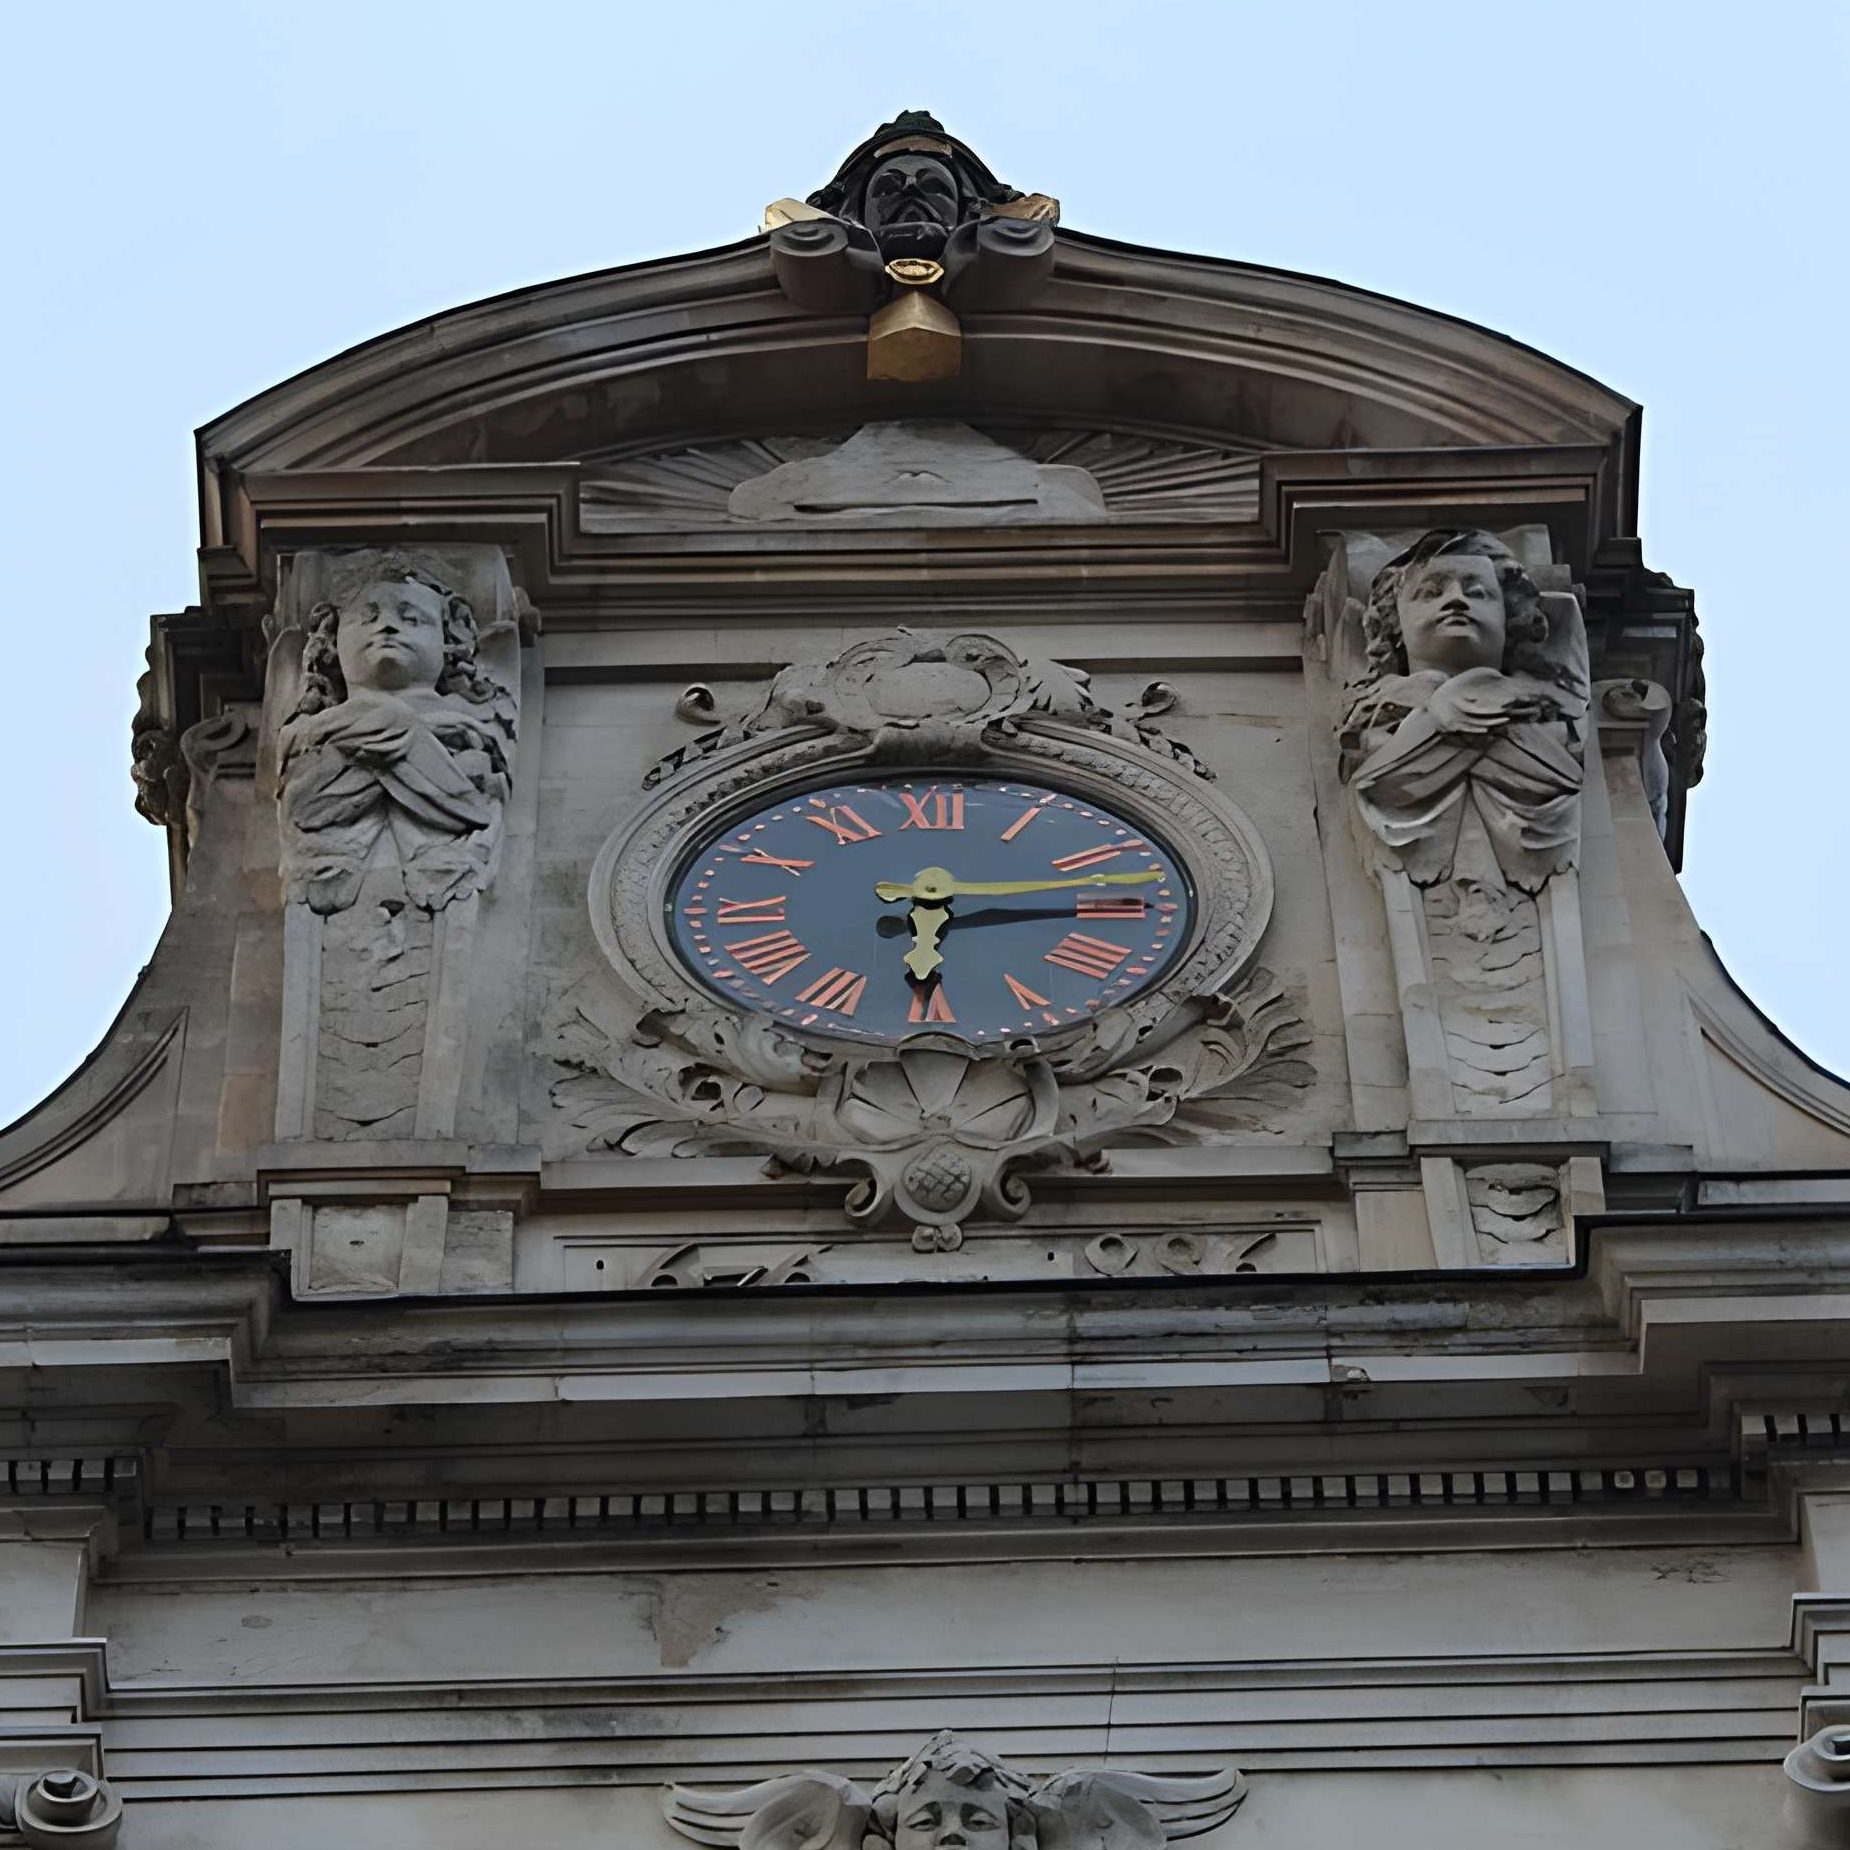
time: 6:14
